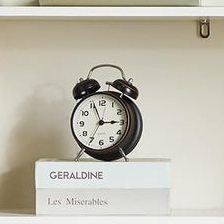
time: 2:56
